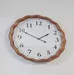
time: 1:49
